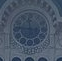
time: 11:46
